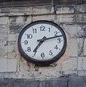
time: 7:12
